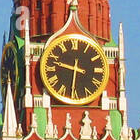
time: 9:31
